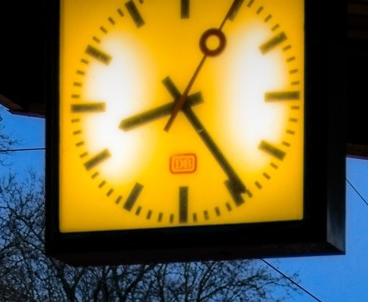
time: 8:24
